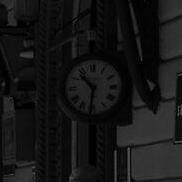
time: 10:31
